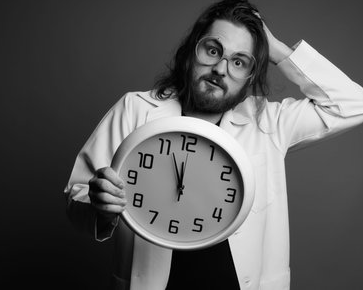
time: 11:56
